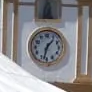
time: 1:32
